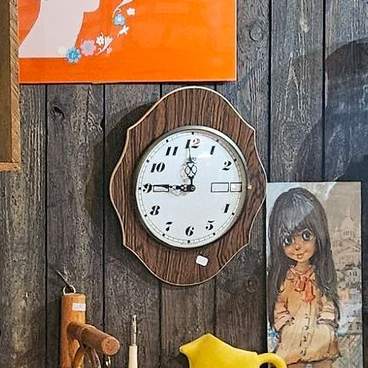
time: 8:59
